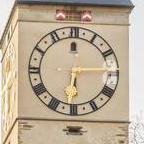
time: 6:14
